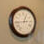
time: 12:43
